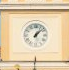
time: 1:07
